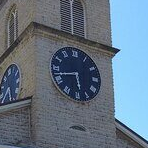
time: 5:42
